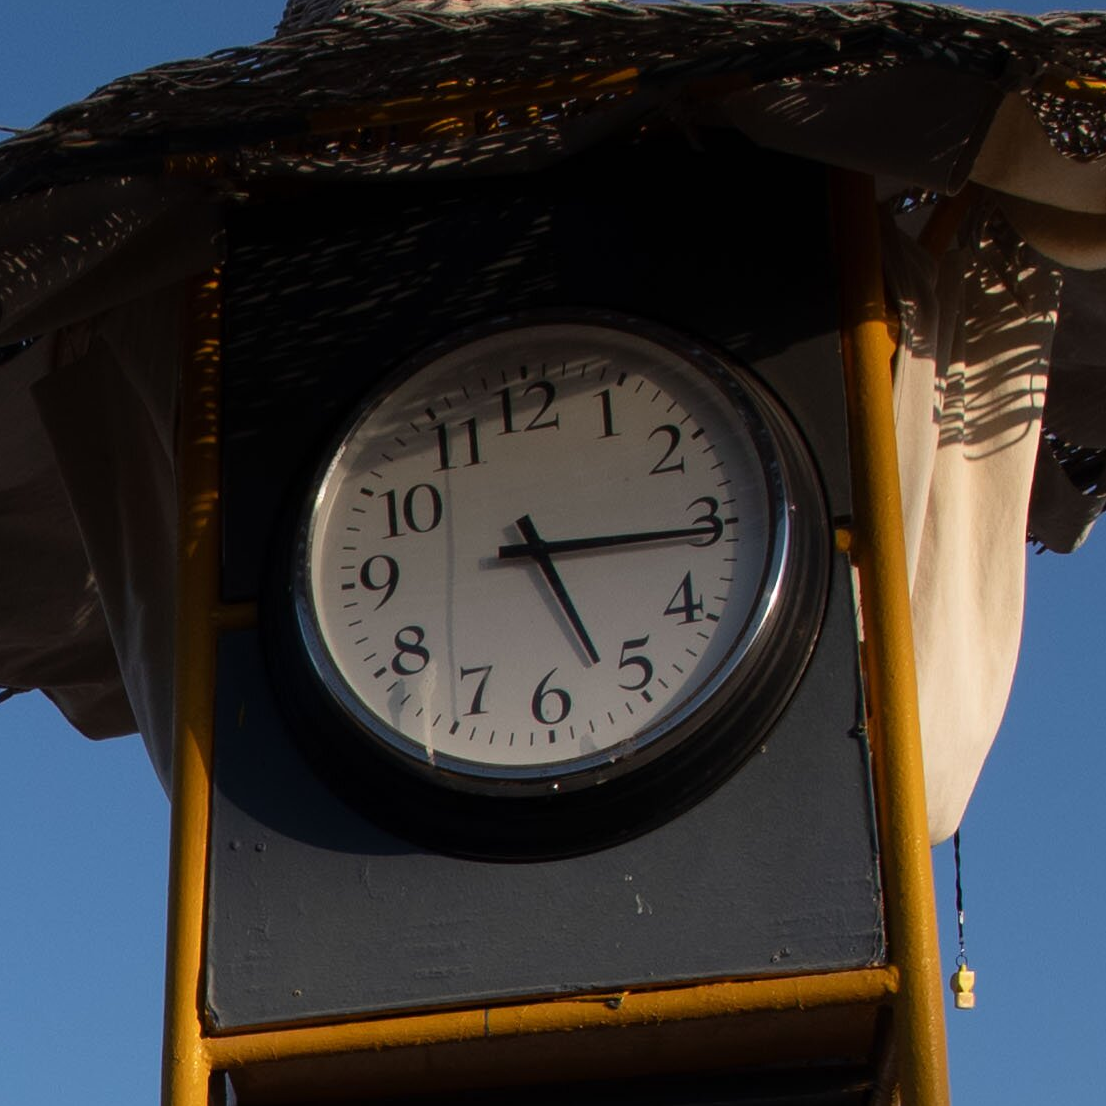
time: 5:15
